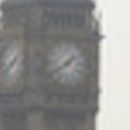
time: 1:39
